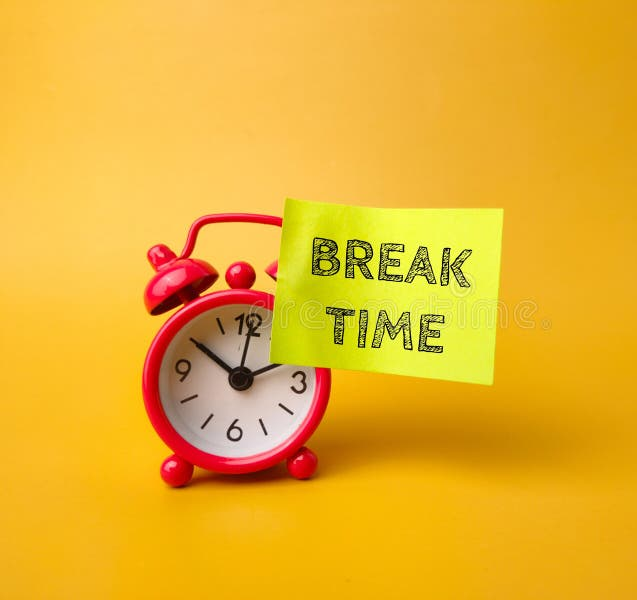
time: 1:50
